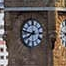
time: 7:46
